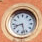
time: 8:27
